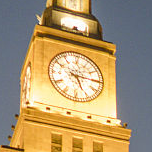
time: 5:15
